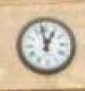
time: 12:58
